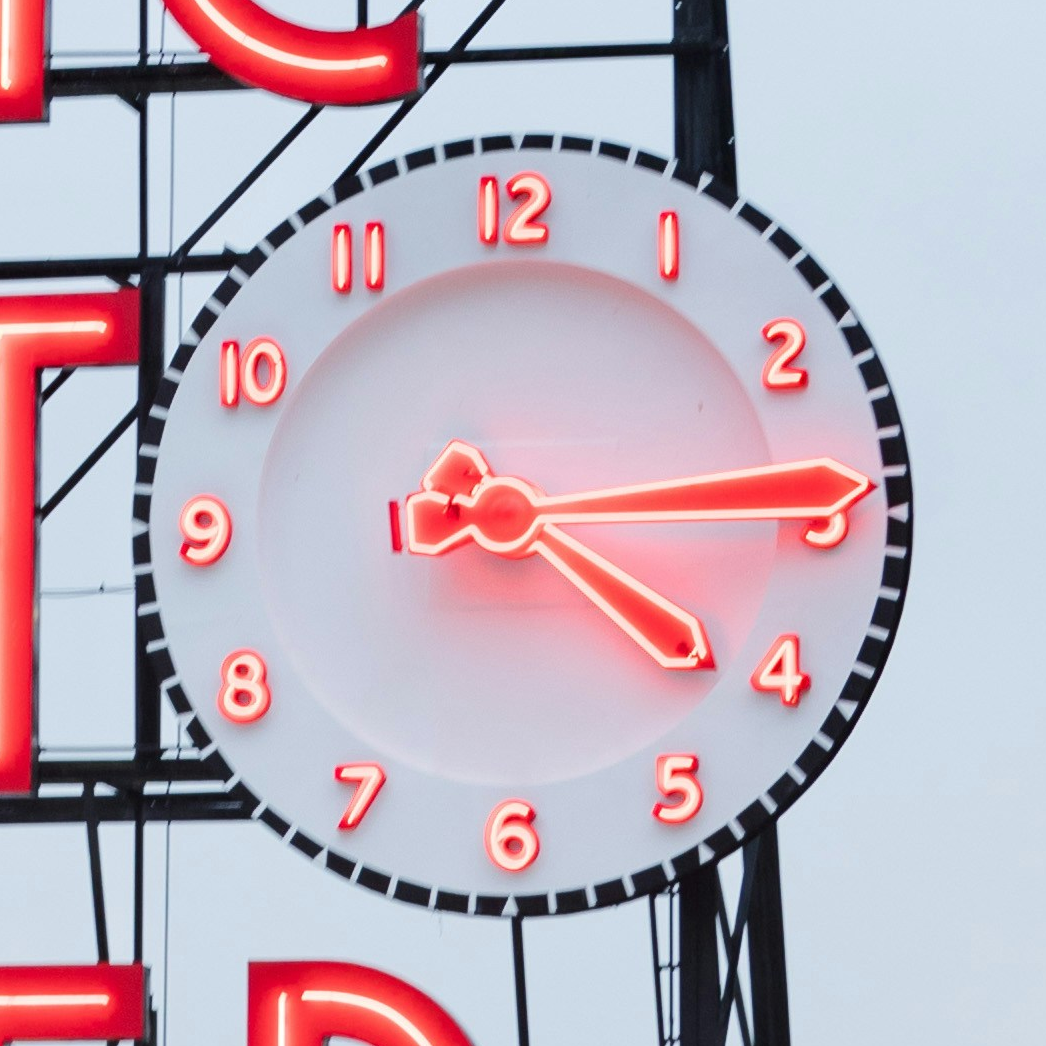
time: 4:14
